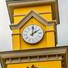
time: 2:01
